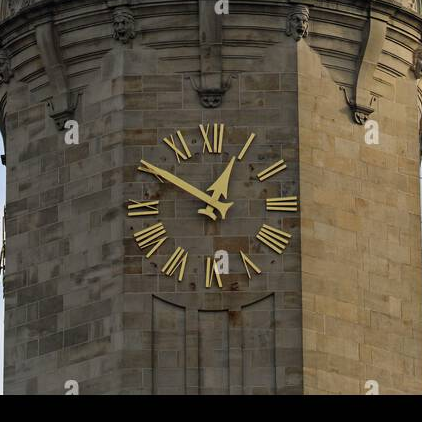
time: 12:50
